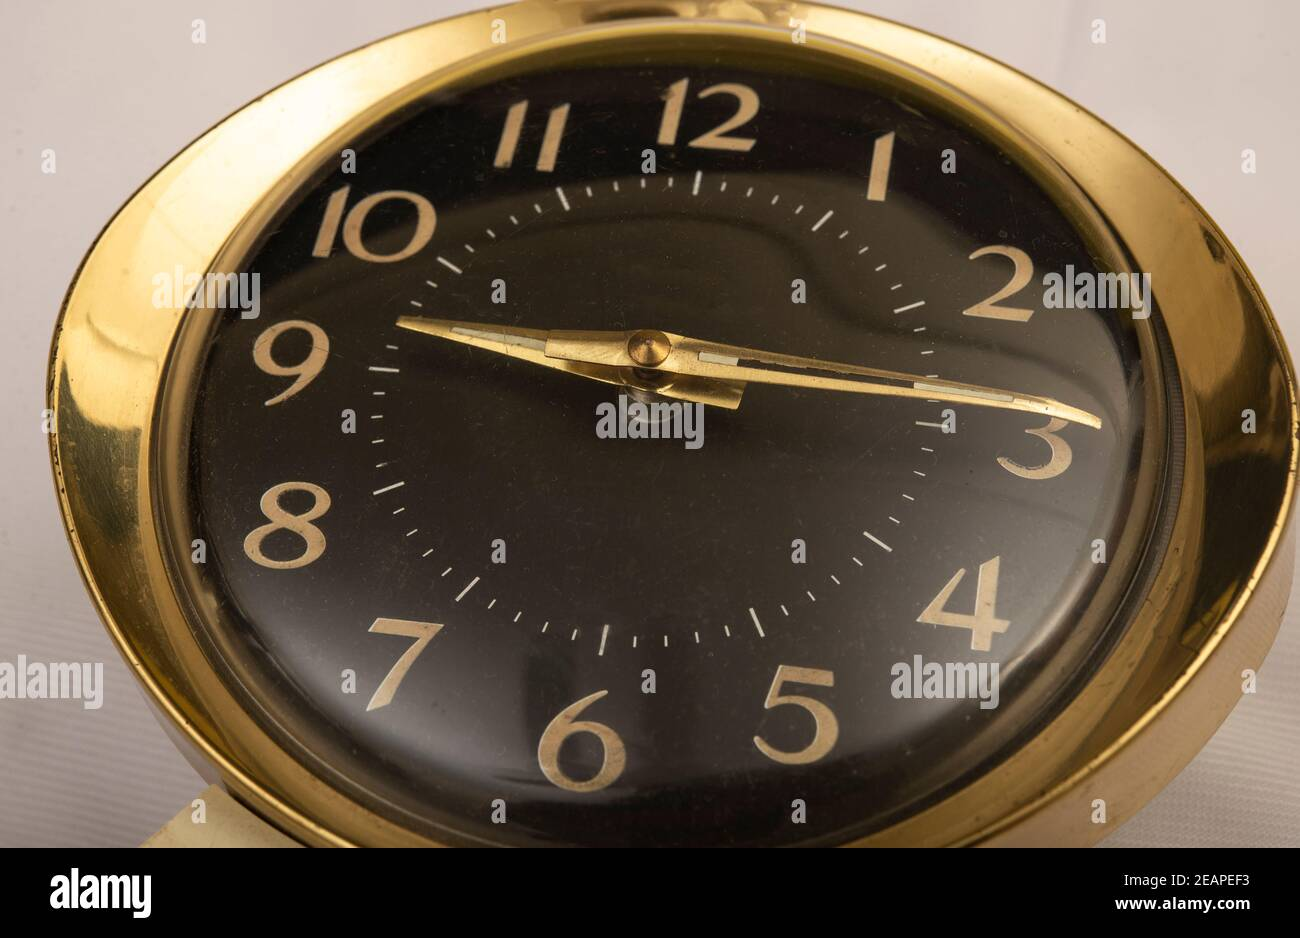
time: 9:14
